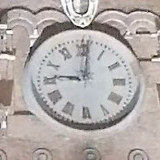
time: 9:01
